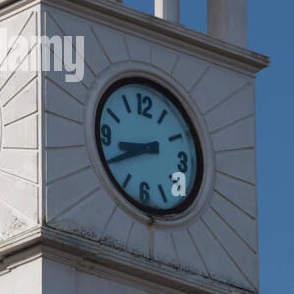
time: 8:40
